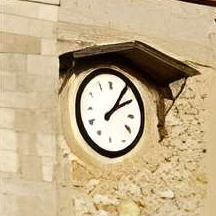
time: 2:06
